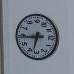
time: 6:44
